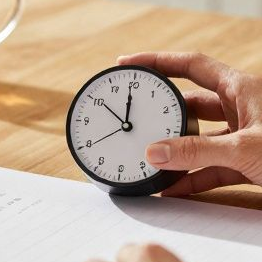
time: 11:50
